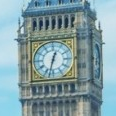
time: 12:32
